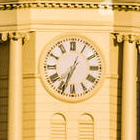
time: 7:34
